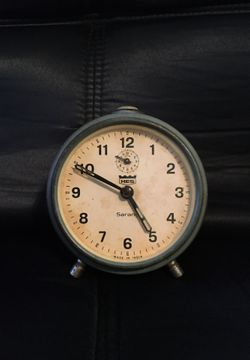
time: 4:49
